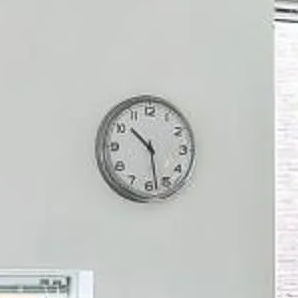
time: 10:28
